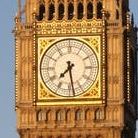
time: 7:28
